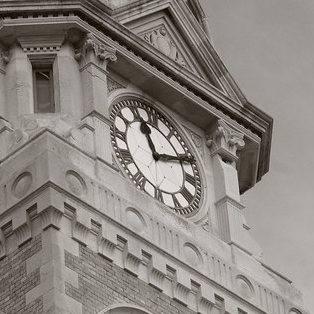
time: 11:11
